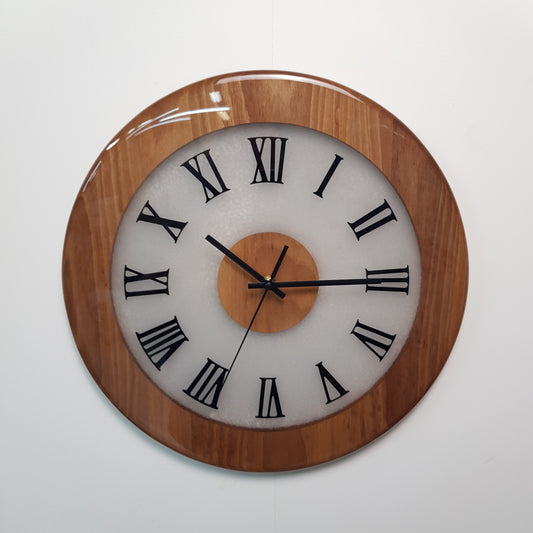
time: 10:14
